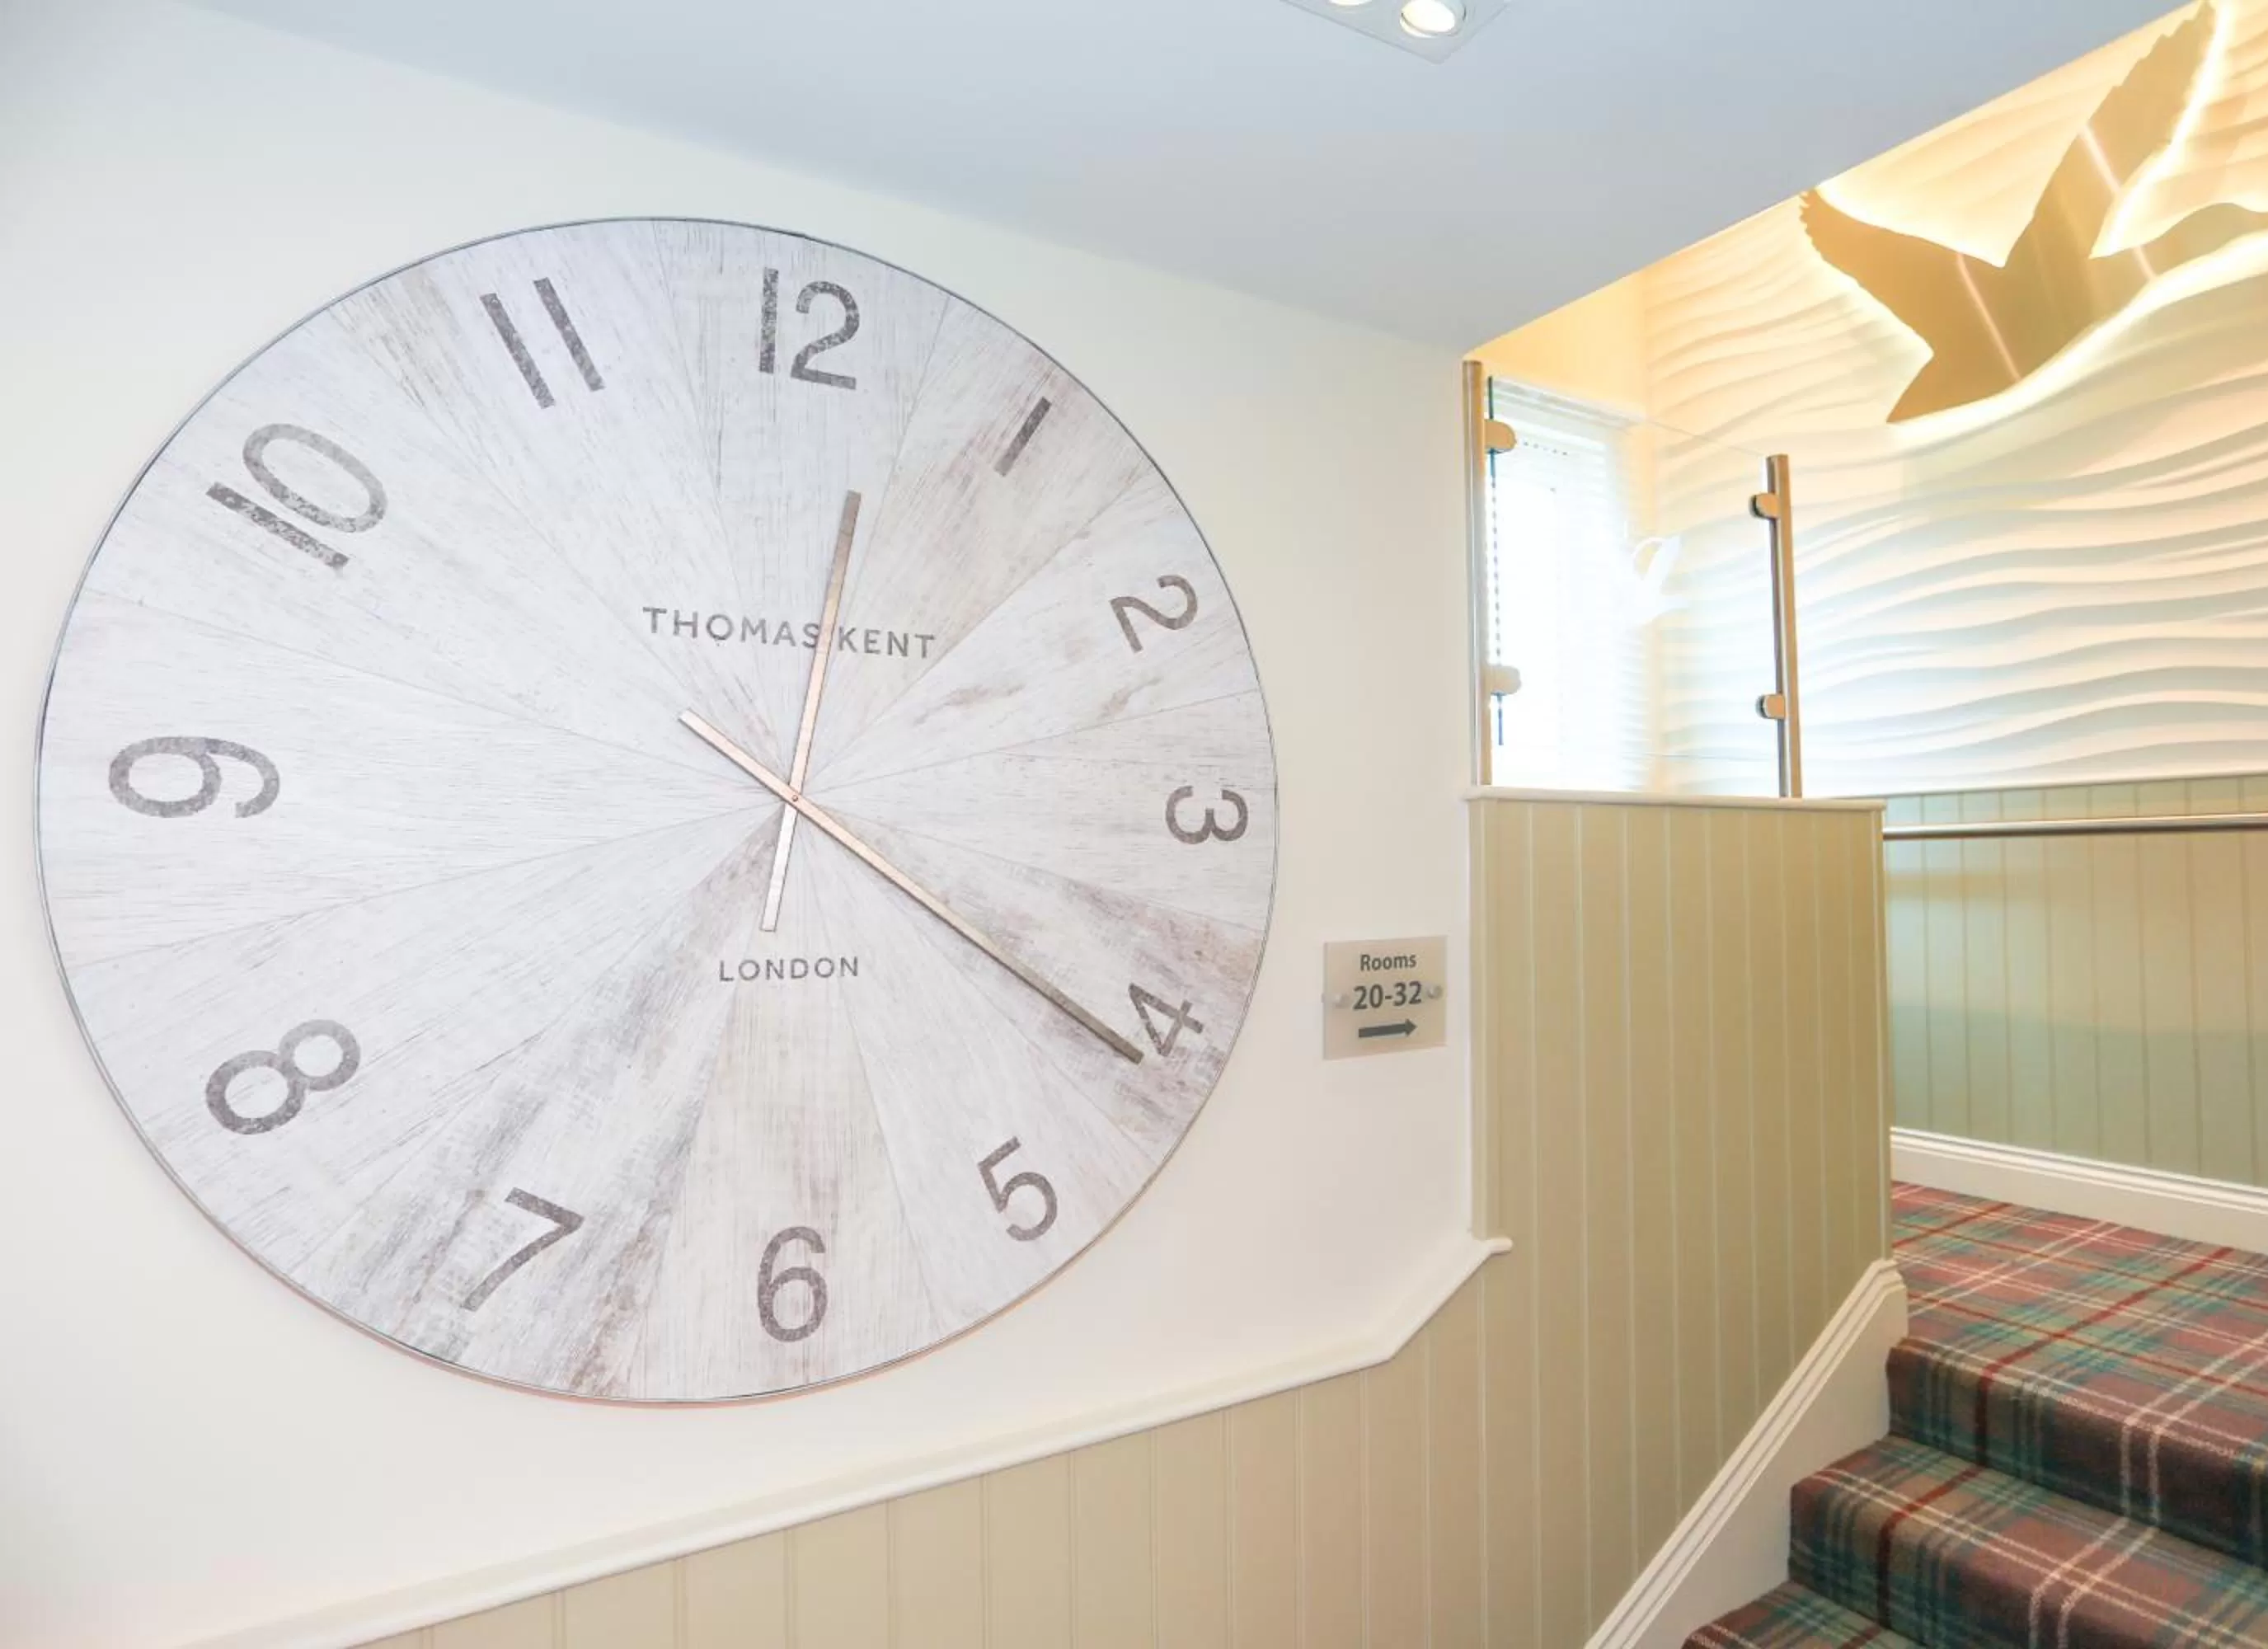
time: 12:21
